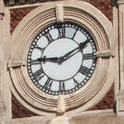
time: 9:10
